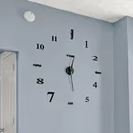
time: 12:28
